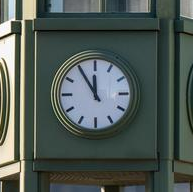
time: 11:54
